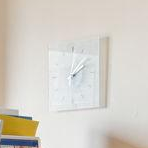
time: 2:07
